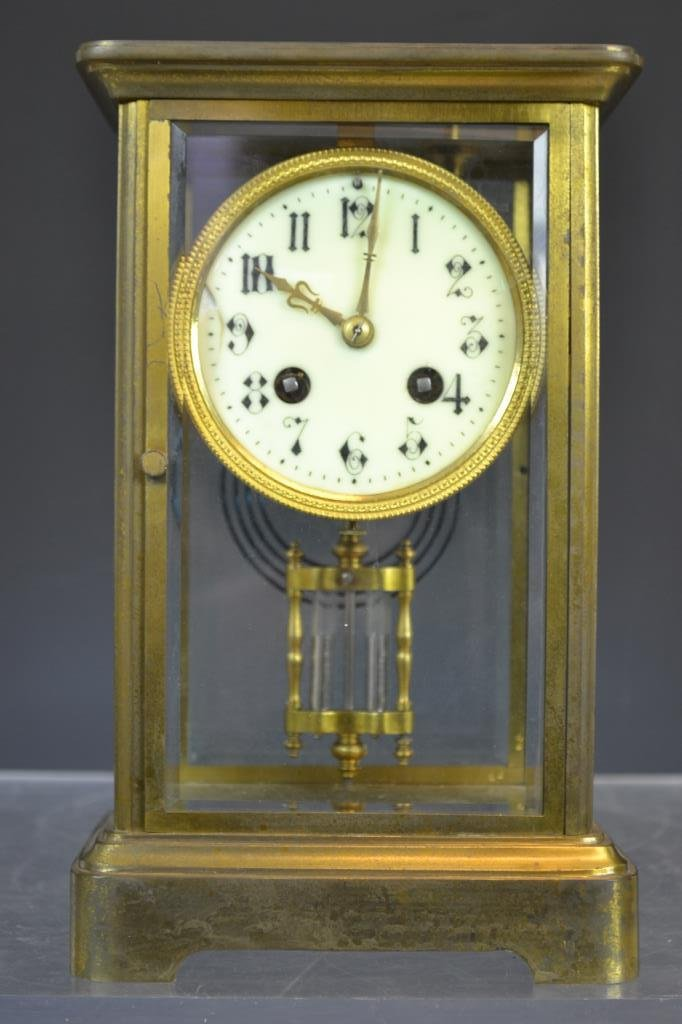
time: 10:01
